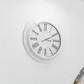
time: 3:10
